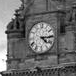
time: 4:14
